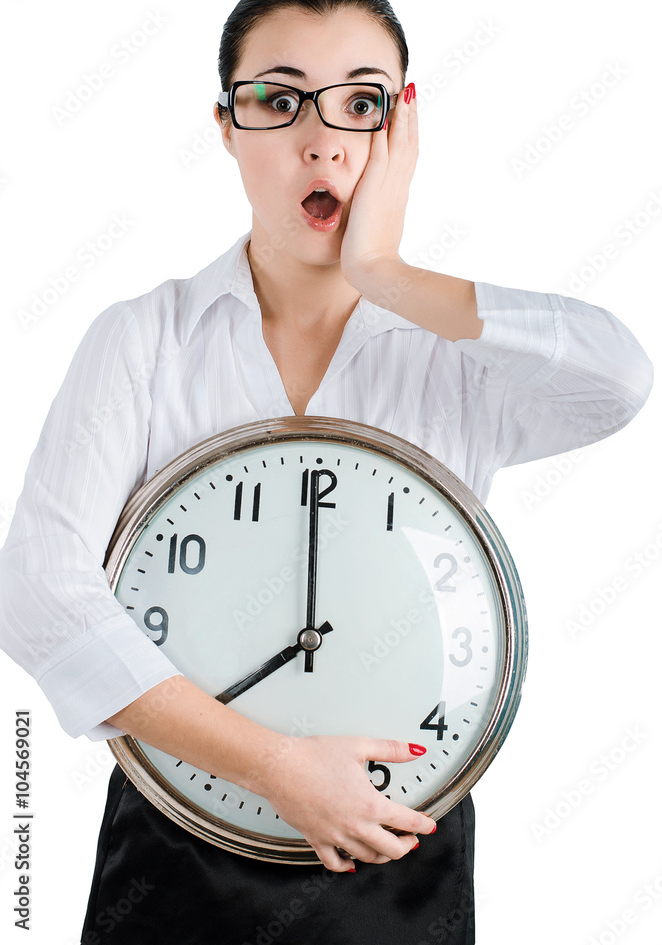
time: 7:59
